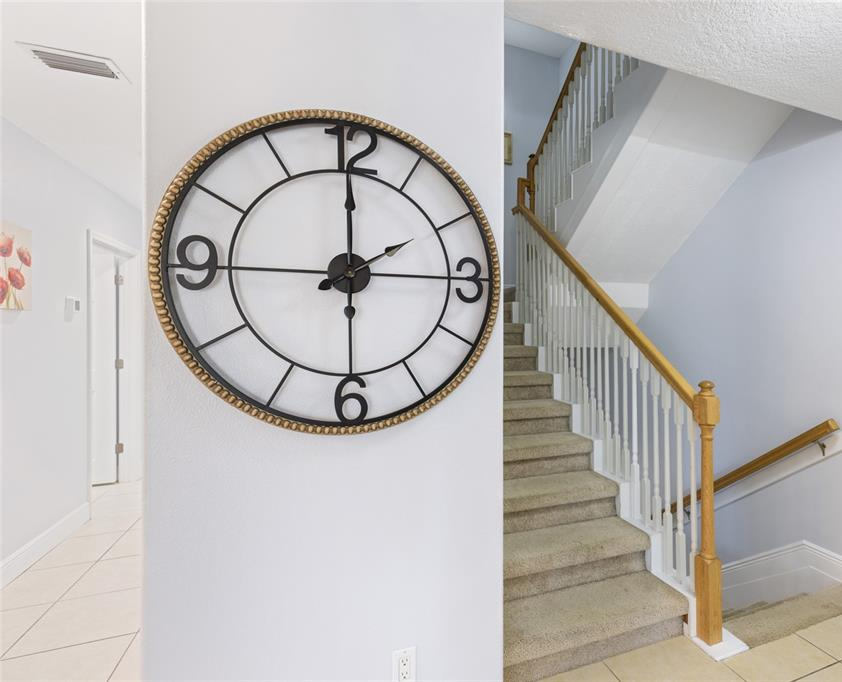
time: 1:59
